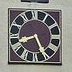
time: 8:25
